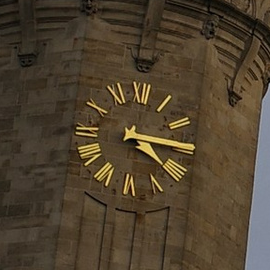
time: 4:14
